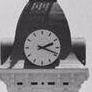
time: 2:18
